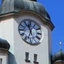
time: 11:33
